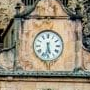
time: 5:32
